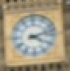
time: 4:12
